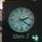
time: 2:21
